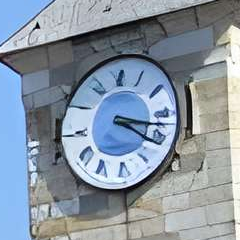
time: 4:17
